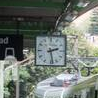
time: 2:28
